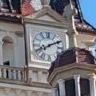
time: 8:10
